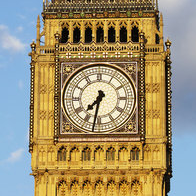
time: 7:32
